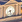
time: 8:27
